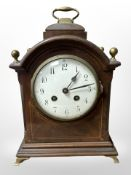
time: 1:13
